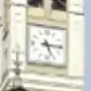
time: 5:15
